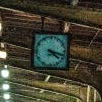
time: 4:17
